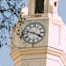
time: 3:47
